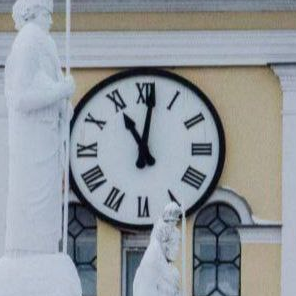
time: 11:01
